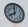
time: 8:01
